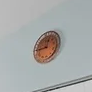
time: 11:44
